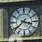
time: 3:38
